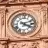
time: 2:18
